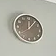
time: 12:07
